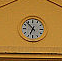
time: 6:53
